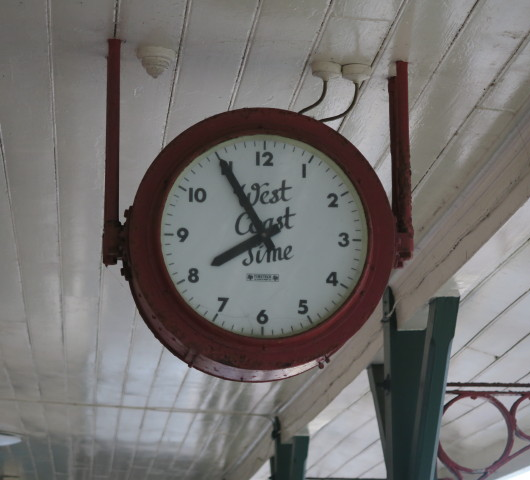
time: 7:54
